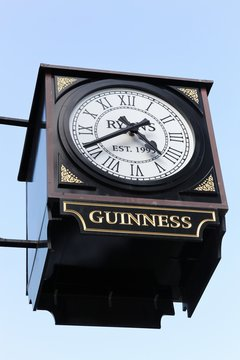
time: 4:40
